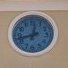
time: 12:42
